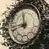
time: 11:42
